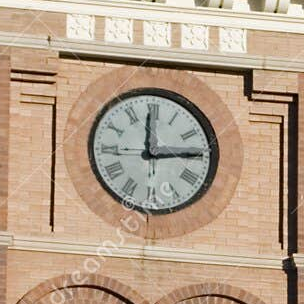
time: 2:59
